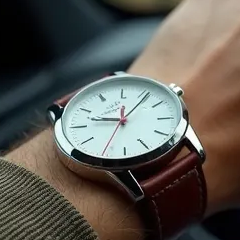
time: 9:06
